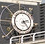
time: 2:23
